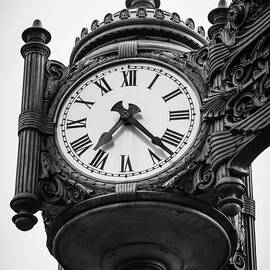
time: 7:22
